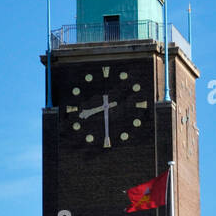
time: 8:30
